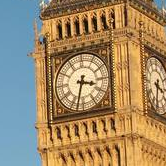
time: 3:32
